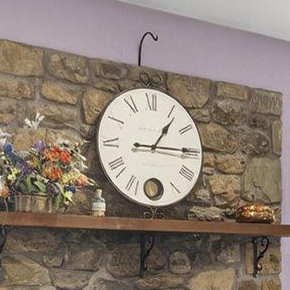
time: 1:15
